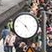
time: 4:52
